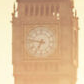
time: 6:47
